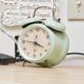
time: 3:46
